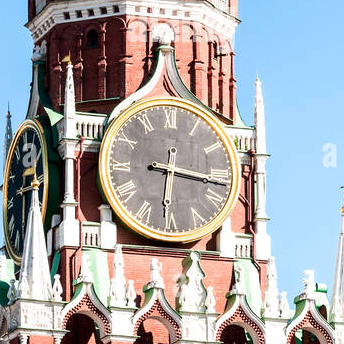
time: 6:16
